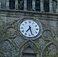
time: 7:26
